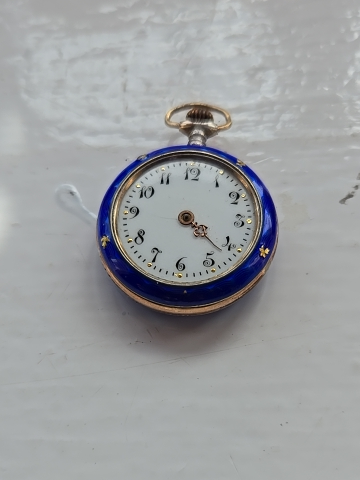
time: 4:21
